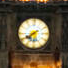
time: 7:40
